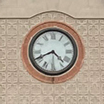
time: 4:40
